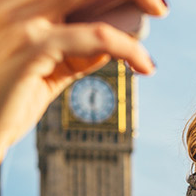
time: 12:28
